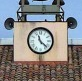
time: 11:22
